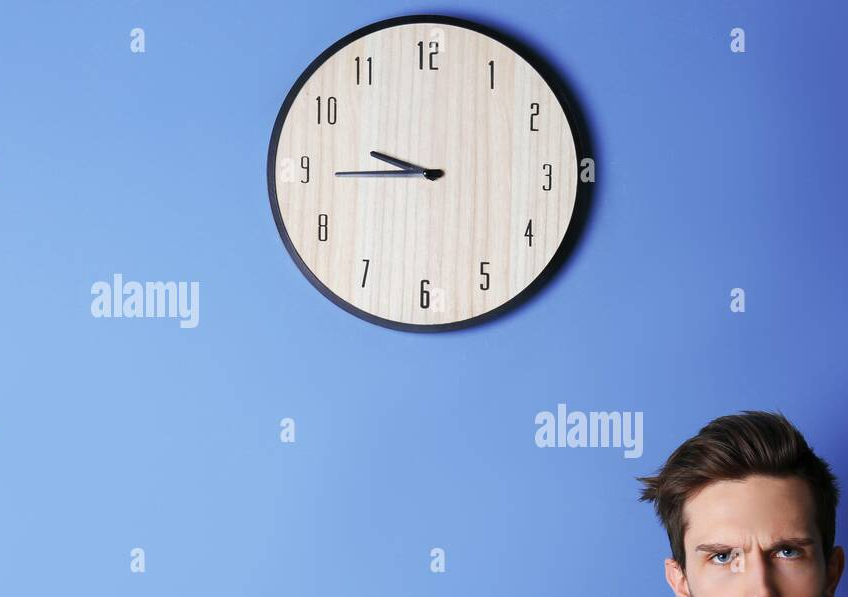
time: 9:44
